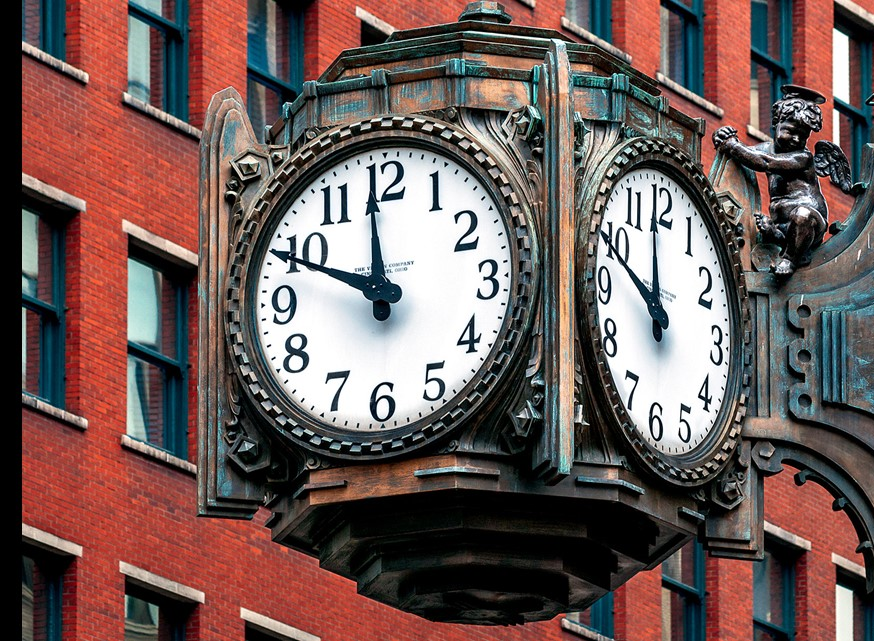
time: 11:49
